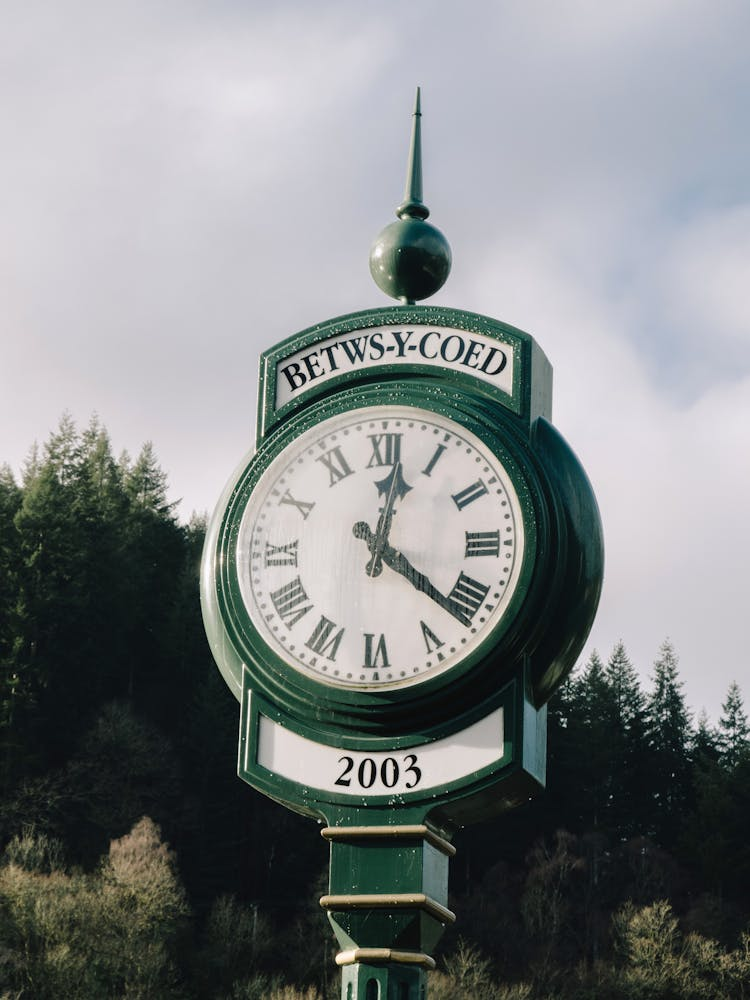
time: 12:21
